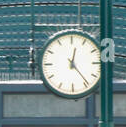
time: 12:23
